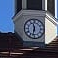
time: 11:32
